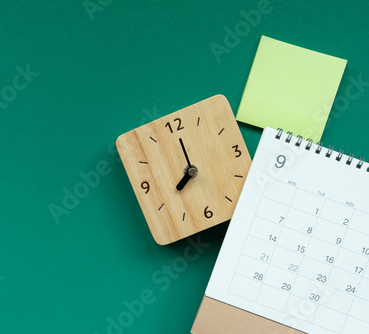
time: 8:00
